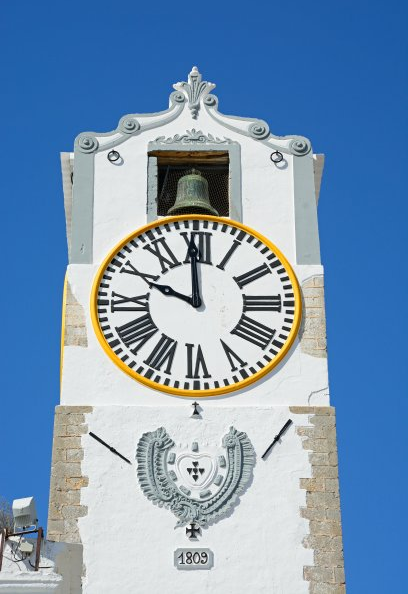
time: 9:59
